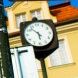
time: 5:53
